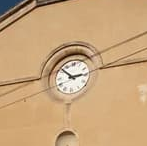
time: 2:52
